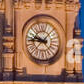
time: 9:45
